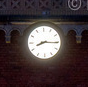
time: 8:15
